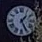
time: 1:25
